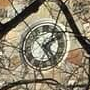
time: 1:24
